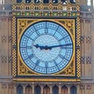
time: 9:13
